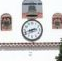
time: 2:42
